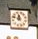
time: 11:46
